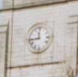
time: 11:43
